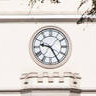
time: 9:24
